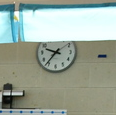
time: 9:36
